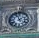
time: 1:56
